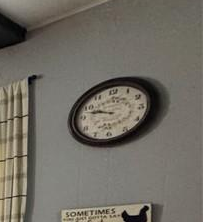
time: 9:47
